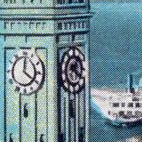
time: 1:20
